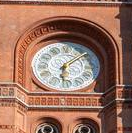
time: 6:08
